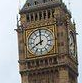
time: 7:59
